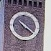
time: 10:20
